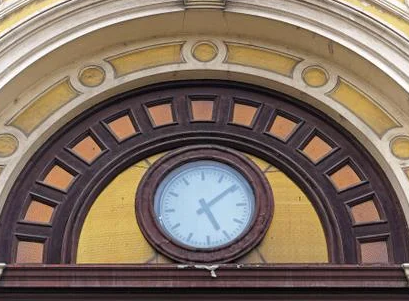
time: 5:09
